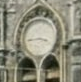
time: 3:43
